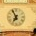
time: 6:56
